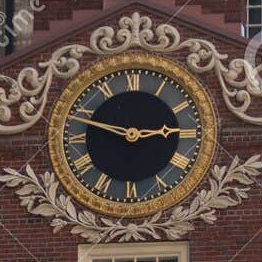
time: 2:48
